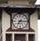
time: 7:15
